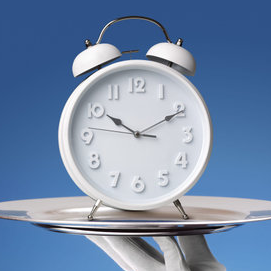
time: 10:10
